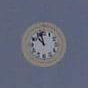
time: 10:58
